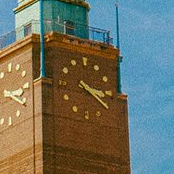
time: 3:20
